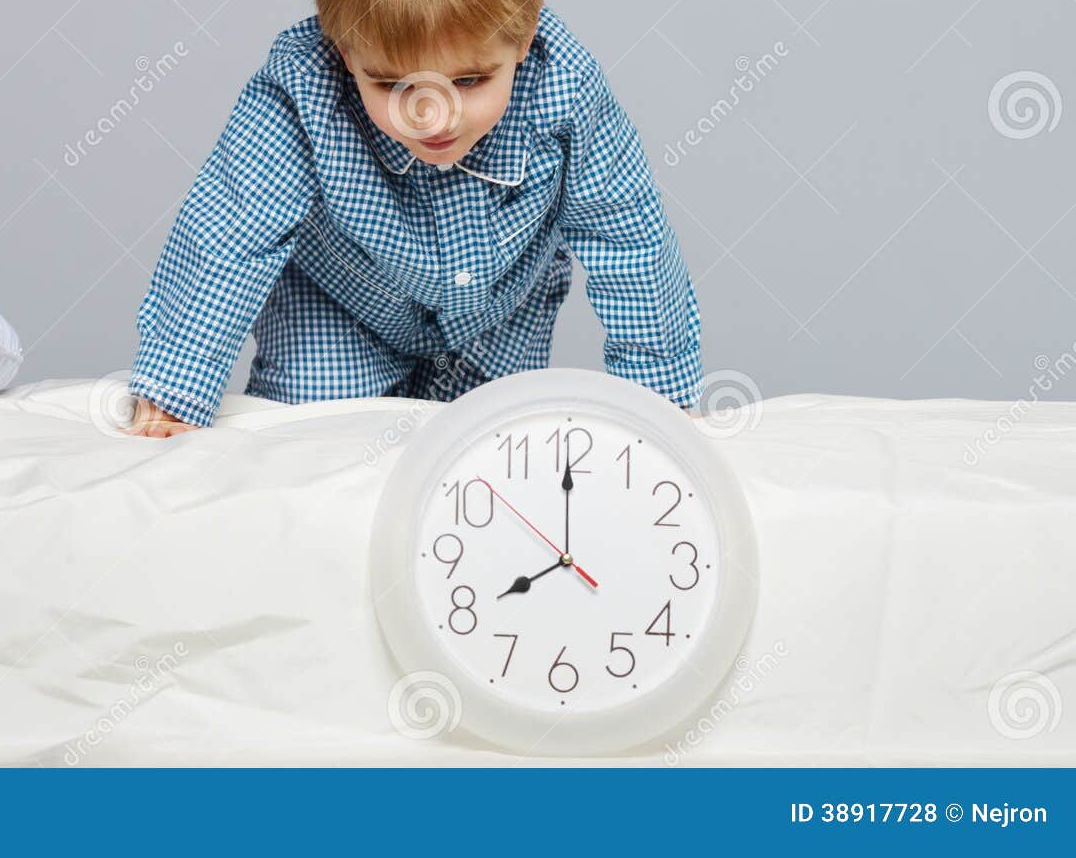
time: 7:59
